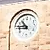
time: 10:45
